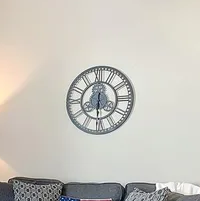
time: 6:01
